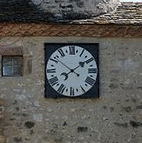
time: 1:50
